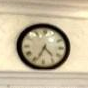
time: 4:33
